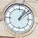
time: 1:08
